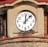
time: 12:07
